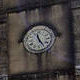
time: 11:24
